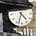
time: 4:32
